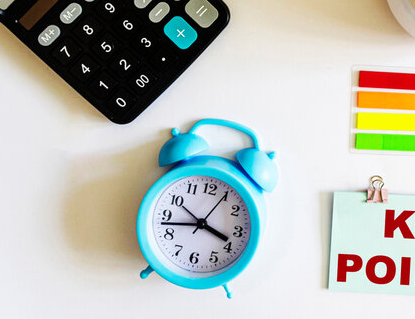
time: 3:42
